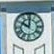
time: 10:00
